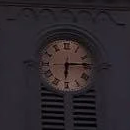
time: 6:14
